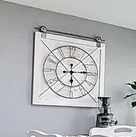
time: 6:14
